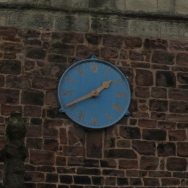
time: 1:40
